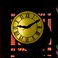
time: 9:09
